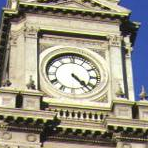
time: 4:22
